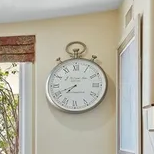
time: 7:41
